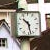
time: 10:28
